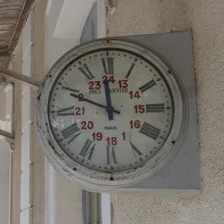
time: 11:48
